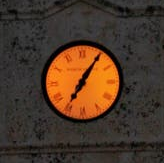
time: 7:05
